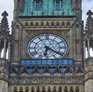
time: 6:20
